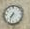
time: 7:34
